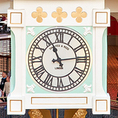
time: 11:13
